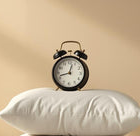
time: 12:42
